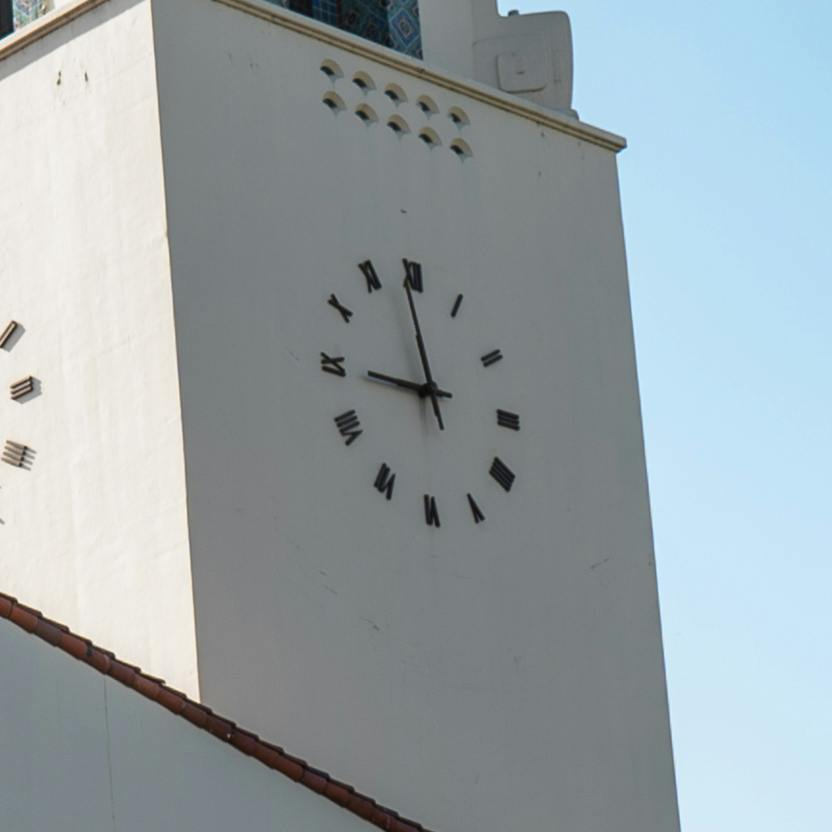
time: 8:58
